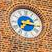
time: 7:15
